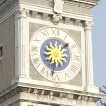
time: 1:31
